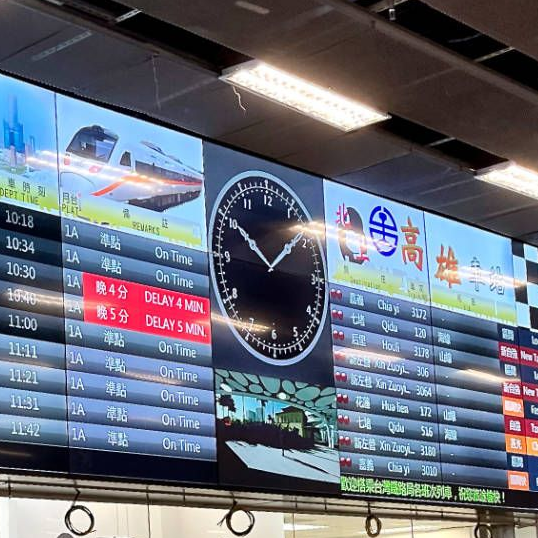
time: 1:50
